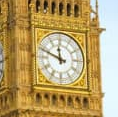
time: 11:48
